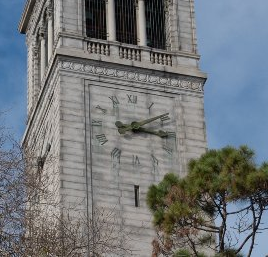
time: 3:09
